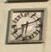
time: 6:11
